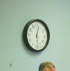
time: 12:28
